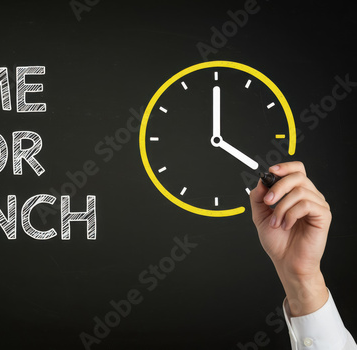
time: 4:00
